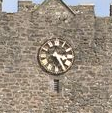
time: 2:24
